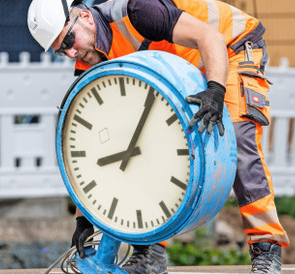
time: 8:05
